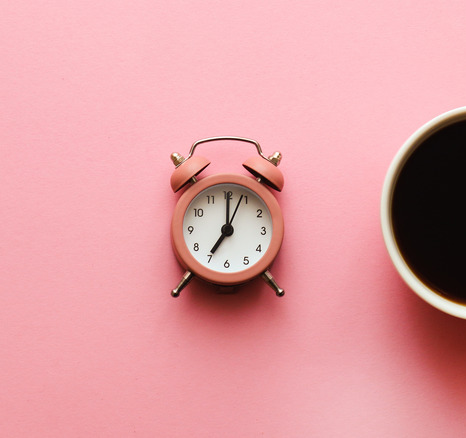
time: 7:00
